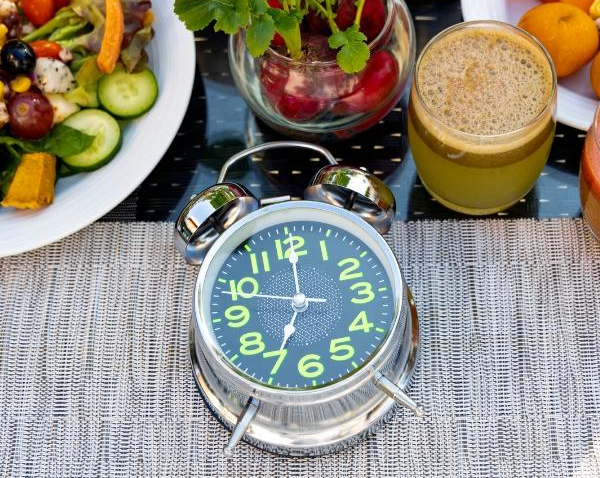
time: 7:00
